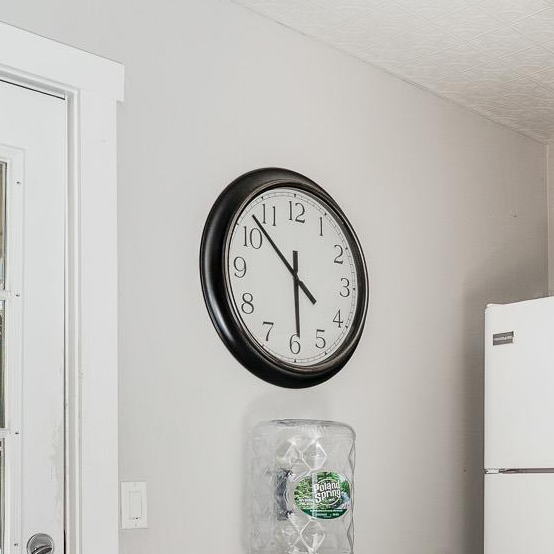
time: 5:52
